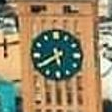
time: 5:40
